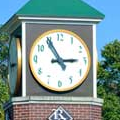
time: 2:54
